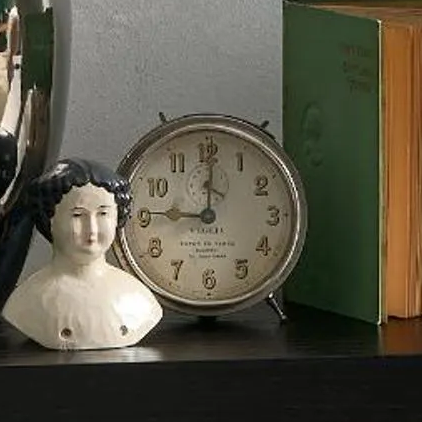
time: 9:01
